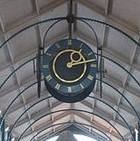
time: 1:13
